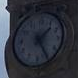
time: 1:24
